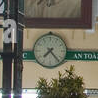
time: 7:23
